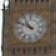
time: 10:48
